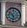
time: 5:51
